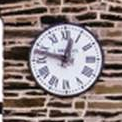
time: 12:47
